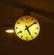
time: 5:08
